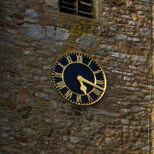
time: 5:18
